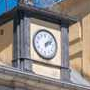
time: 2:07
